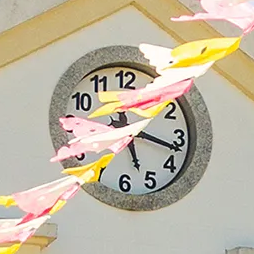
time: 5:17
